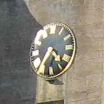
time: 4:35
